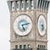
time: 5:12
